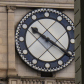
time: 10:20
